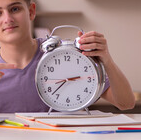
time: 2:37
